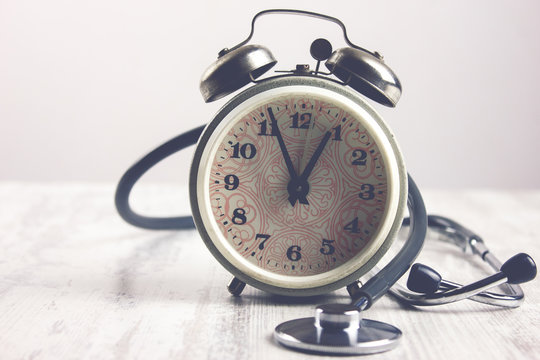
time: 12:55
